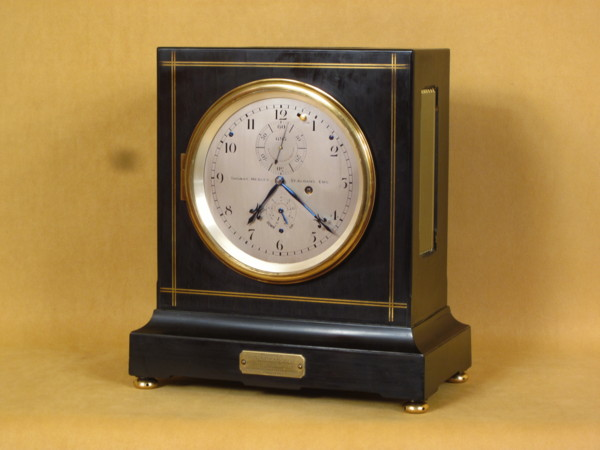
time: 7:21
